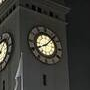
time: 8:07
